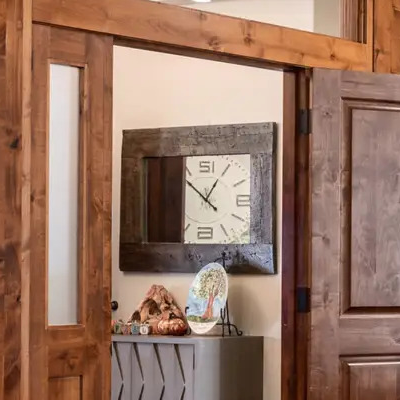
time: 12:52
